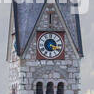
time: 5:18
